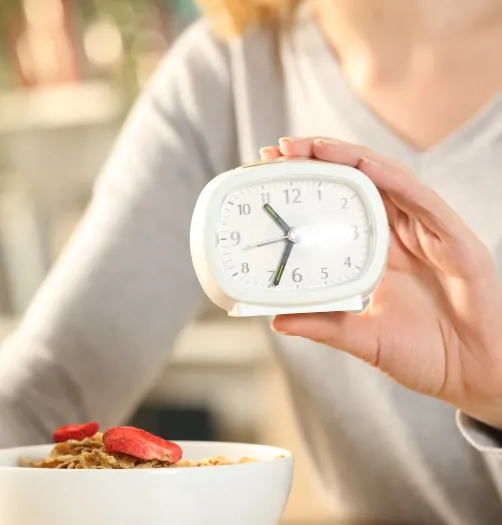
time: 10:33
